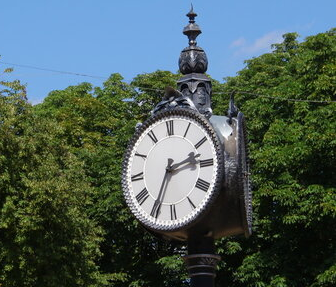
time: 2:34
